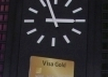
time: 2:56
